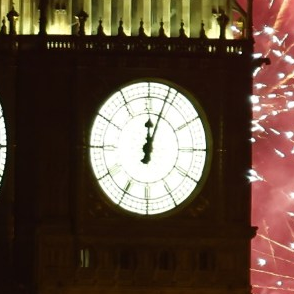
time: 12:03
